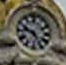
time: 4:48
